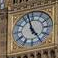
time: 4:57
